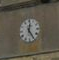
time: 12:24
